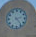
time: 2:23
